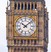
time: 10:07
